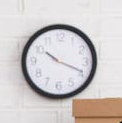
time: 10:18
